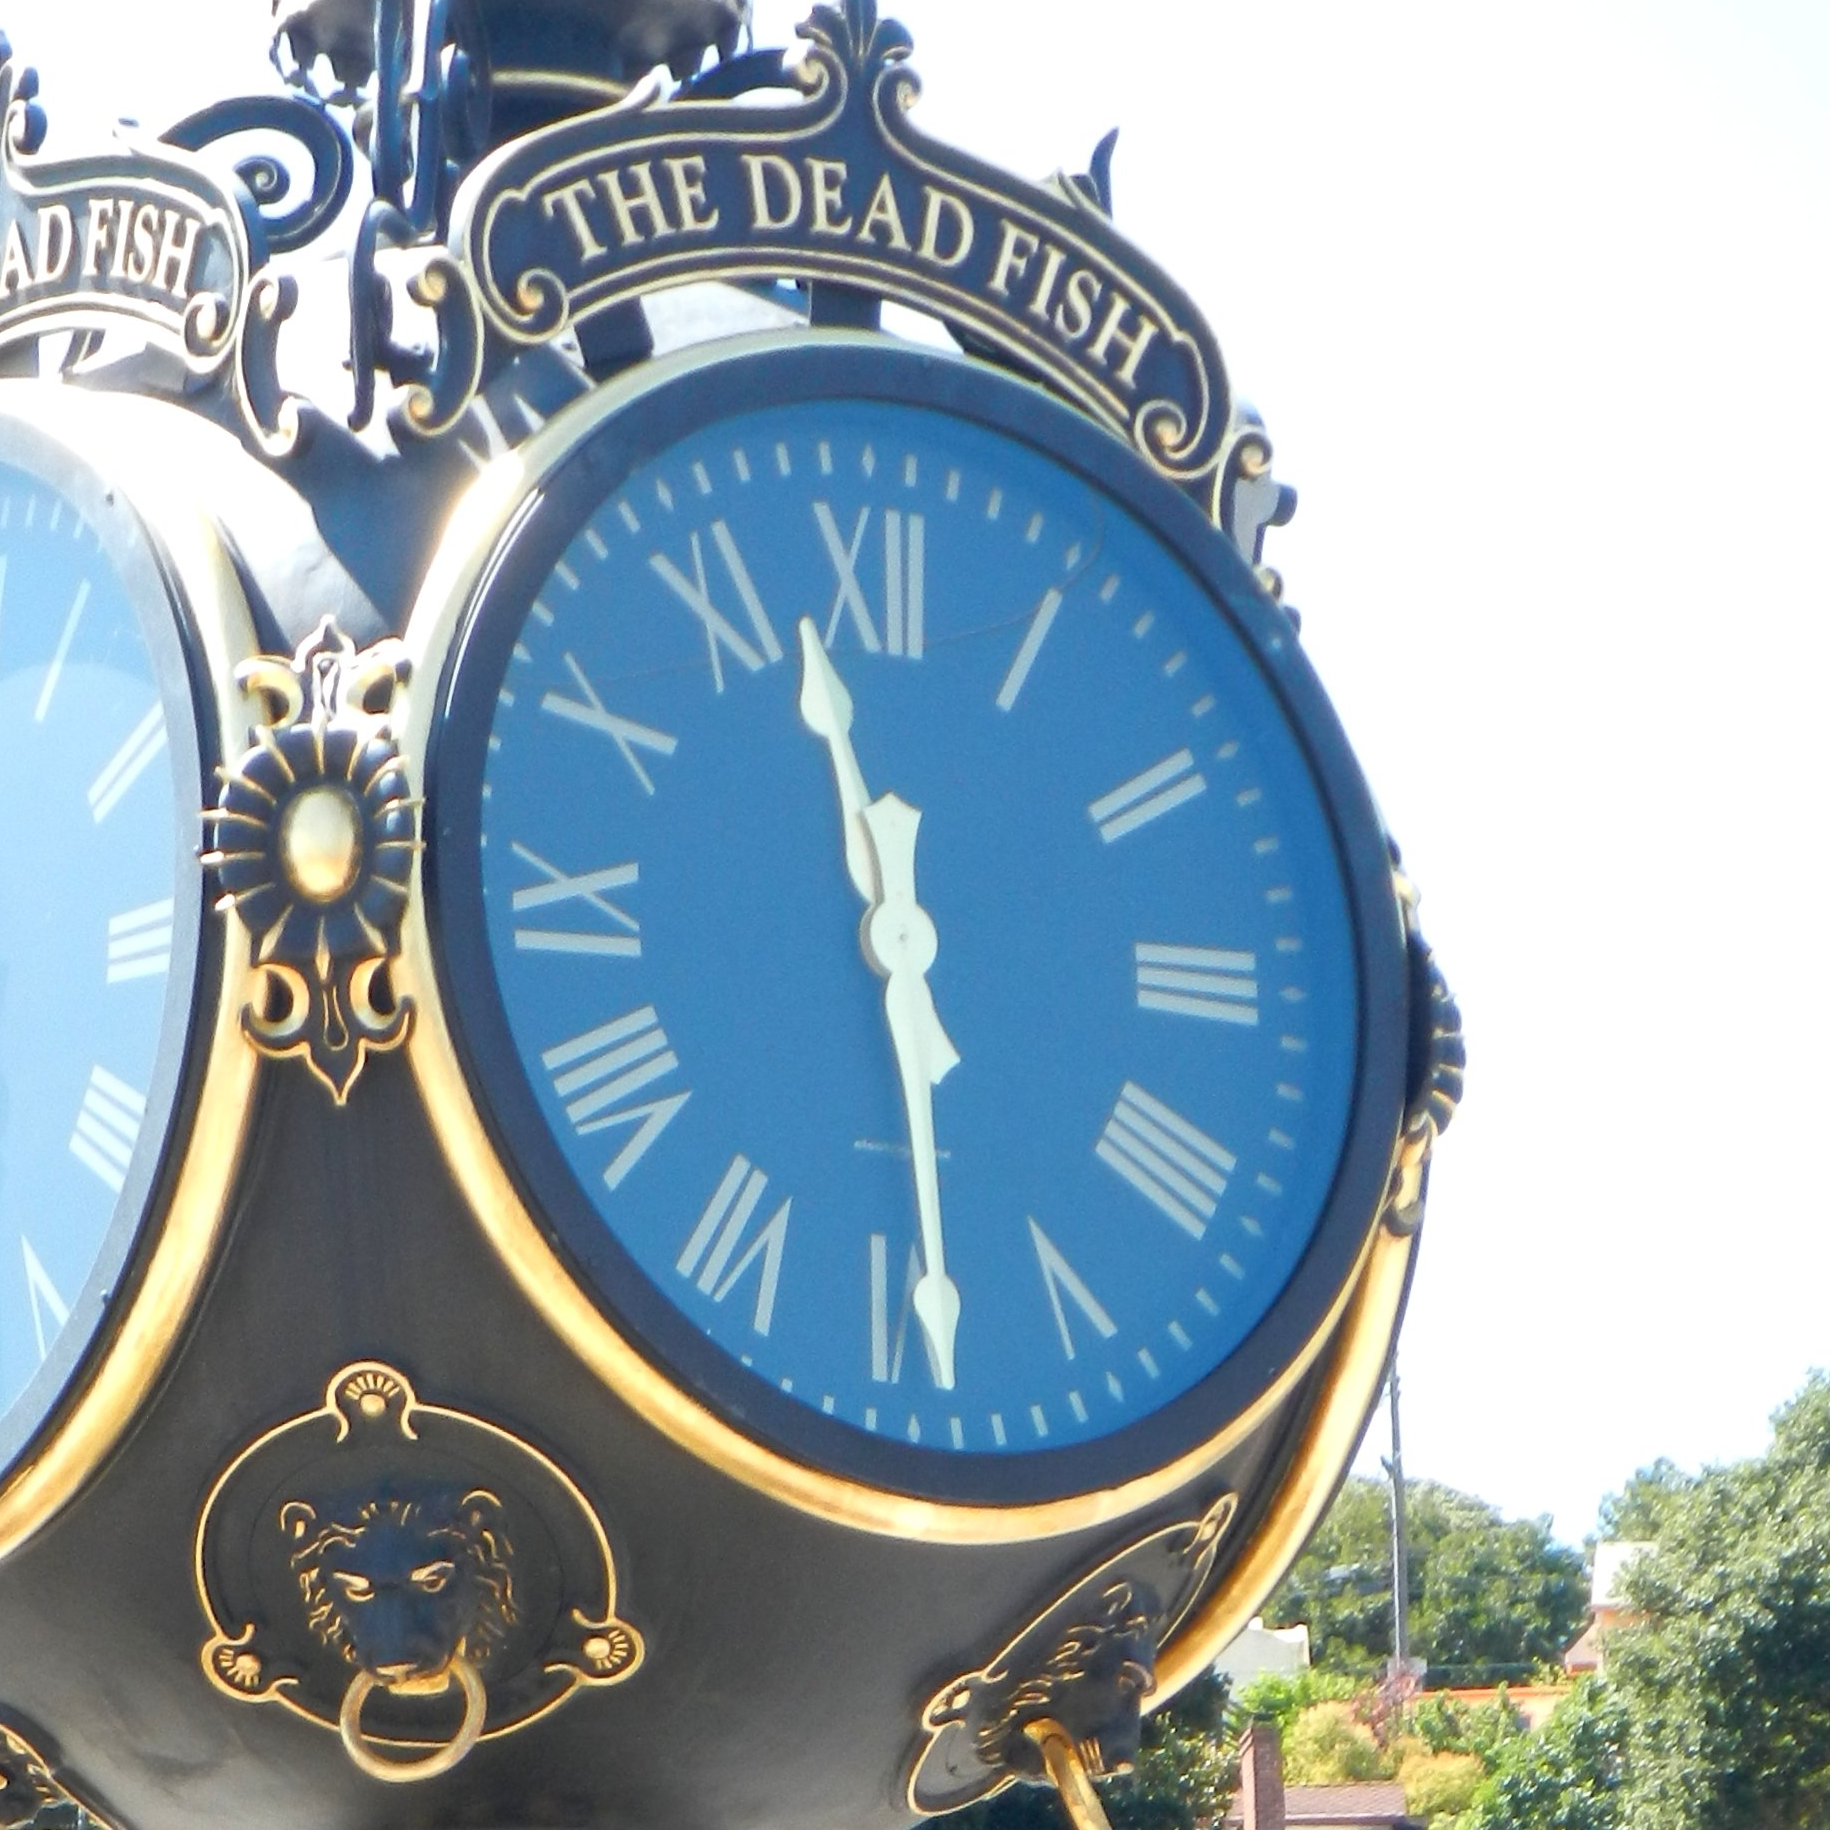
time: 11:29
